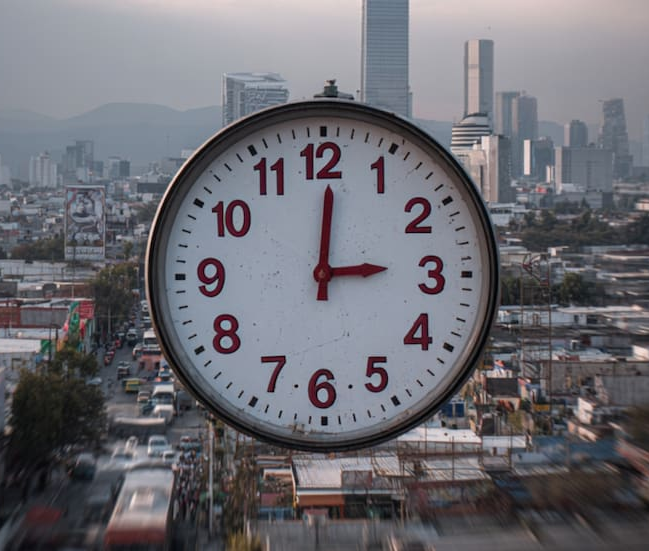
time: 3:00
